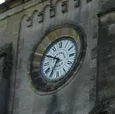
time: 6:49
